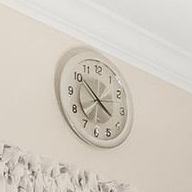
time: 3:51
